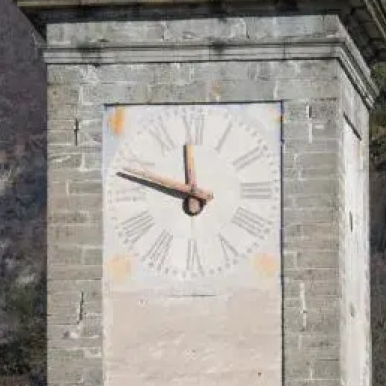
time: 11:47
